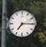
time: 7:15
